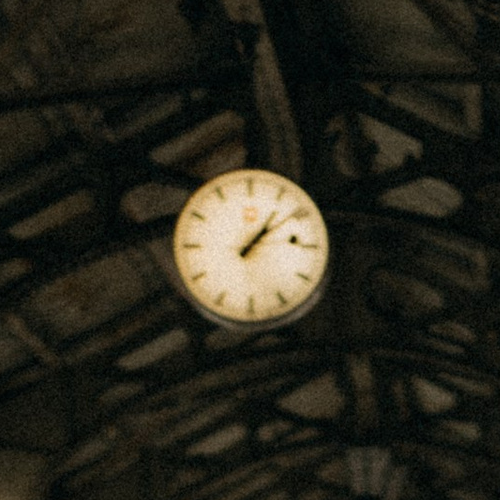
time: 1:09
